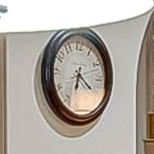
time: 6:20
